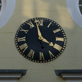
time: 3:57
